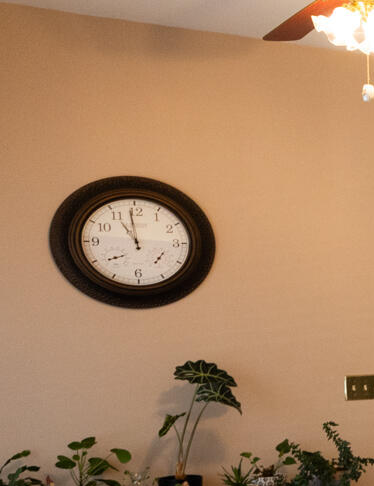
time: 10:58
